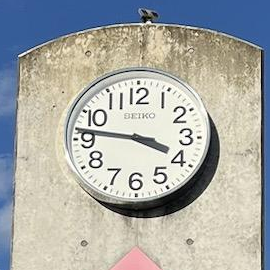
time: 3:46
